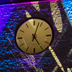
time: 5:03
